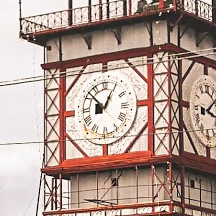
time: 12:52
